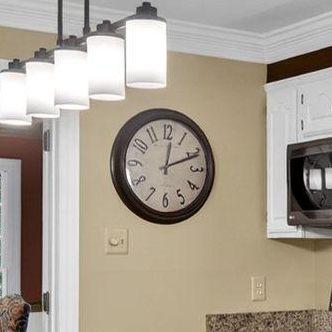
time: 12:11
